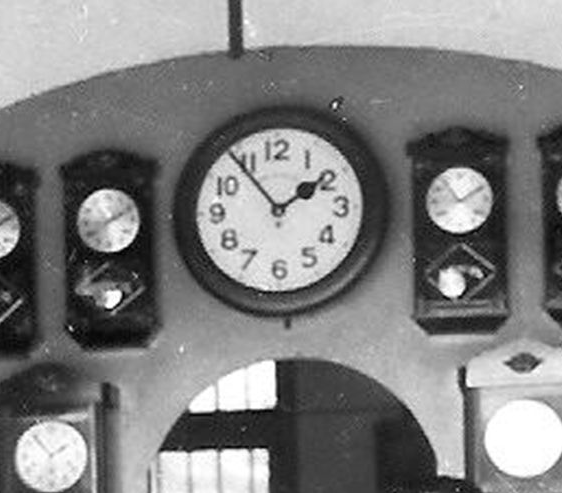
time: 1:53
